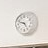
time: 9:25
